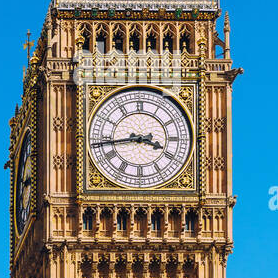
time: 3:43
